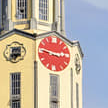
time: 2:46
